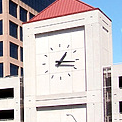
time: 1:16
